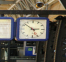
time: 2:52
